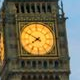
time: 7:50
